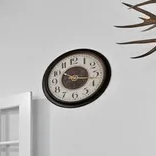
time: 10:17
